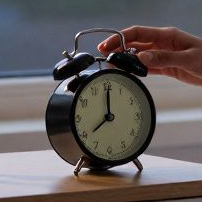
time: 8:00
